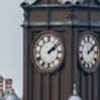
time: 2:08
